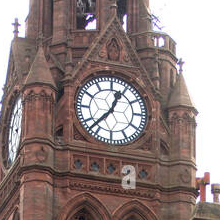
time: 12:37
